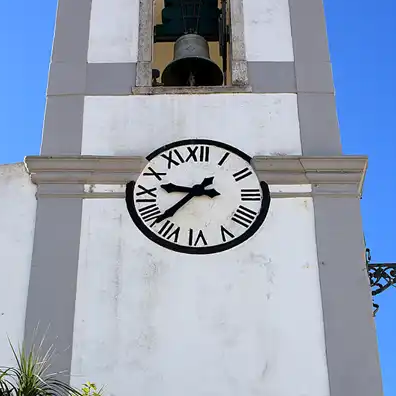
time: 9:37
